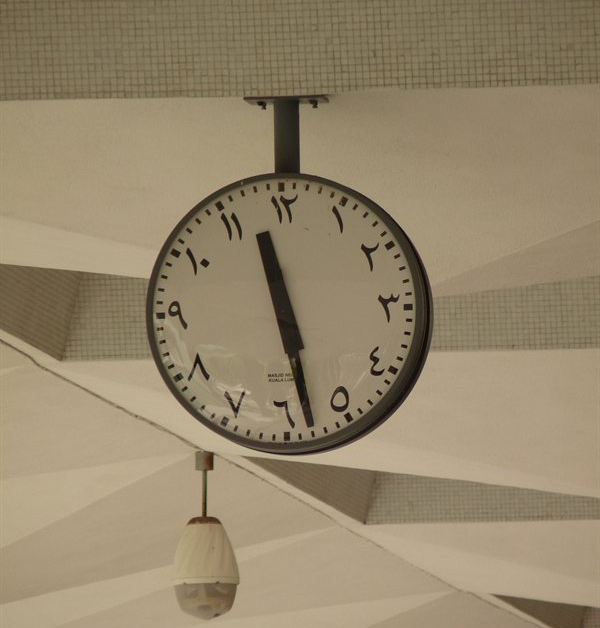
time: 11:28
